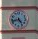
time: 4:42
